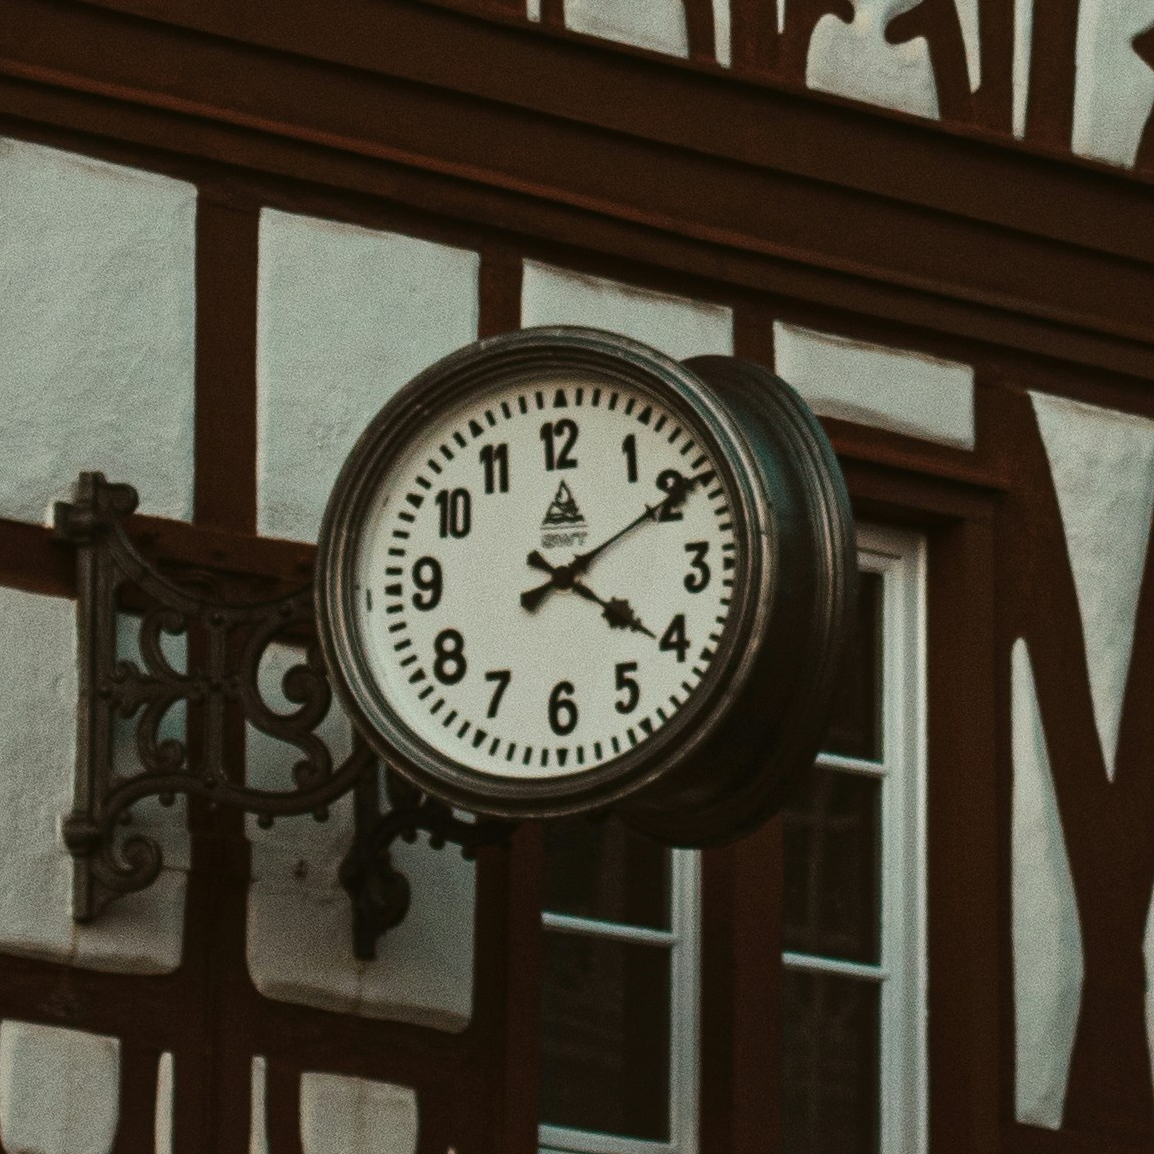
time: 4:09
